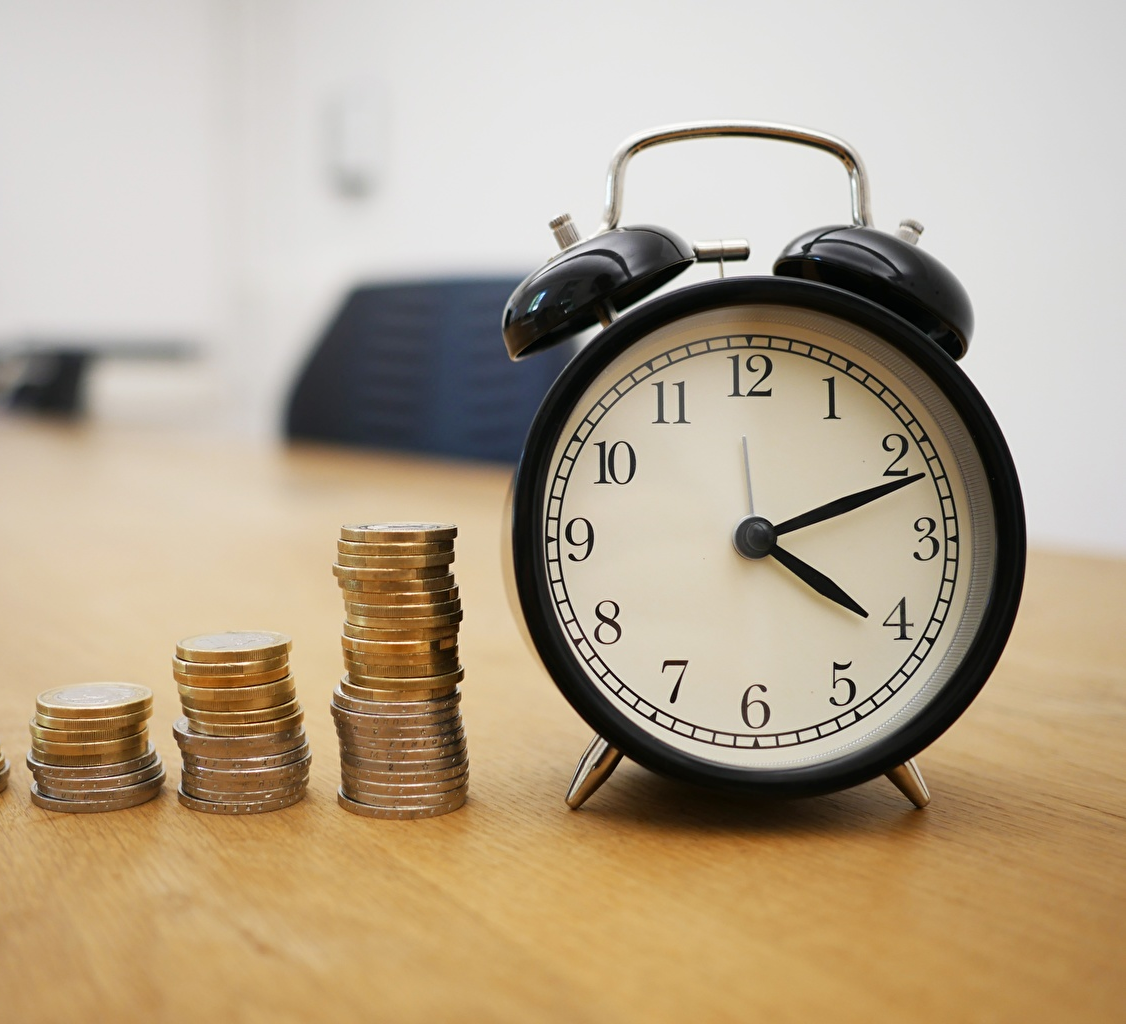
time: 4:11
